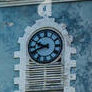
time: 9:41
